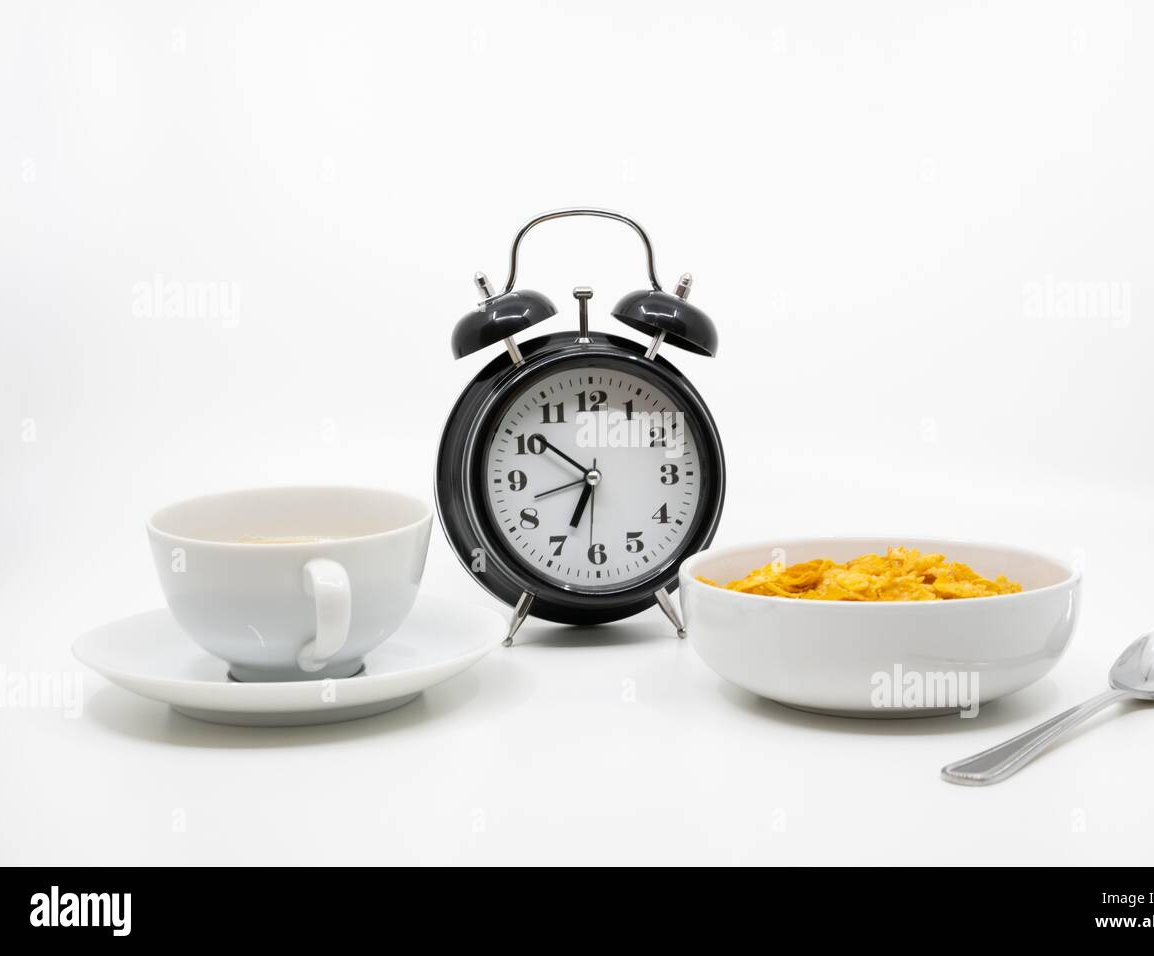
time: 6:51
